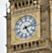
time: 5:12
